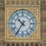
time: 10:35
